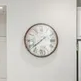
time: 7:38
